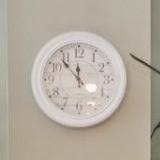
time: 11:53
